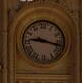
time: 9:17
